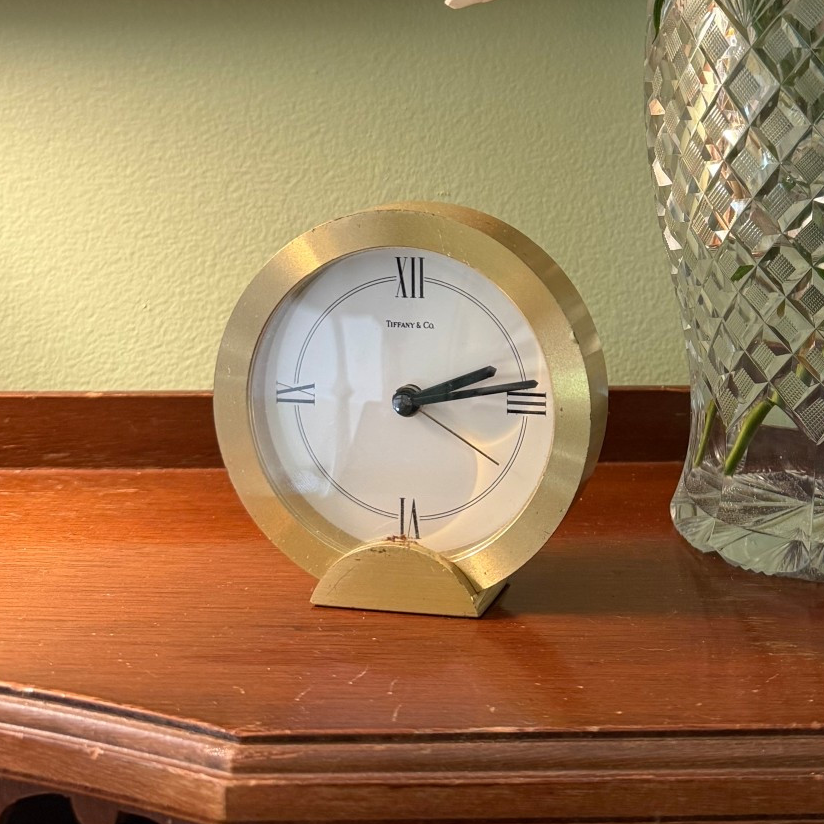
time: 2:13
